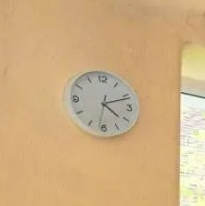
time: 4:11
